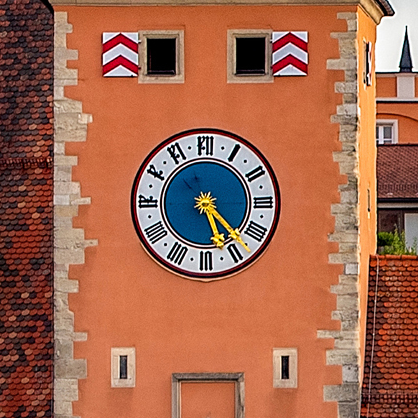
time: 5:22
